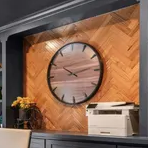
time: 10:13
